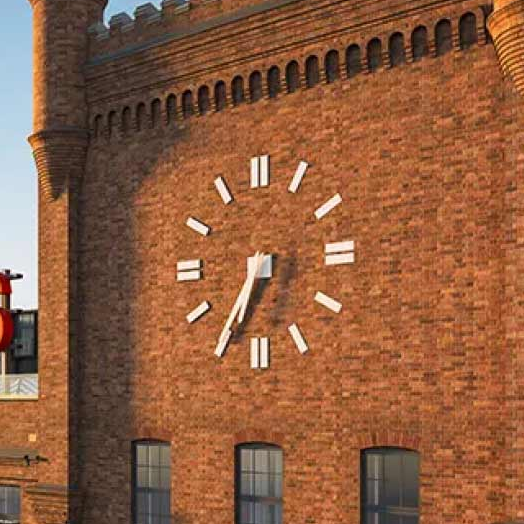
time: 6:35
